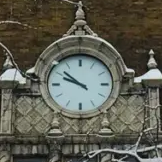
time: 9:51
